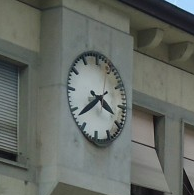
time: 3:38
